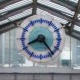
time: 8:23
